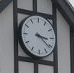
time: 3:21
